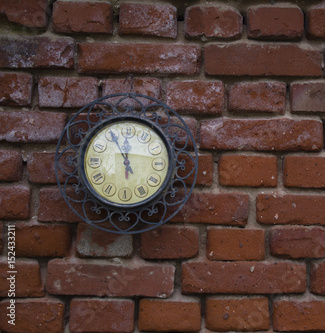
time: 11:55
